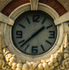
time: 1:37
